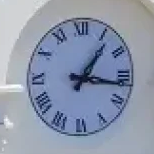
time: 1:16
